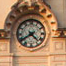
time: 4:39
